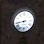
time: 8:43
